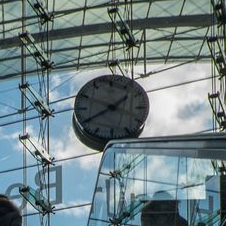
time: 1:39
